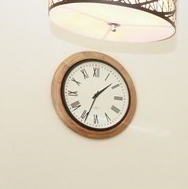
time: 1:34
